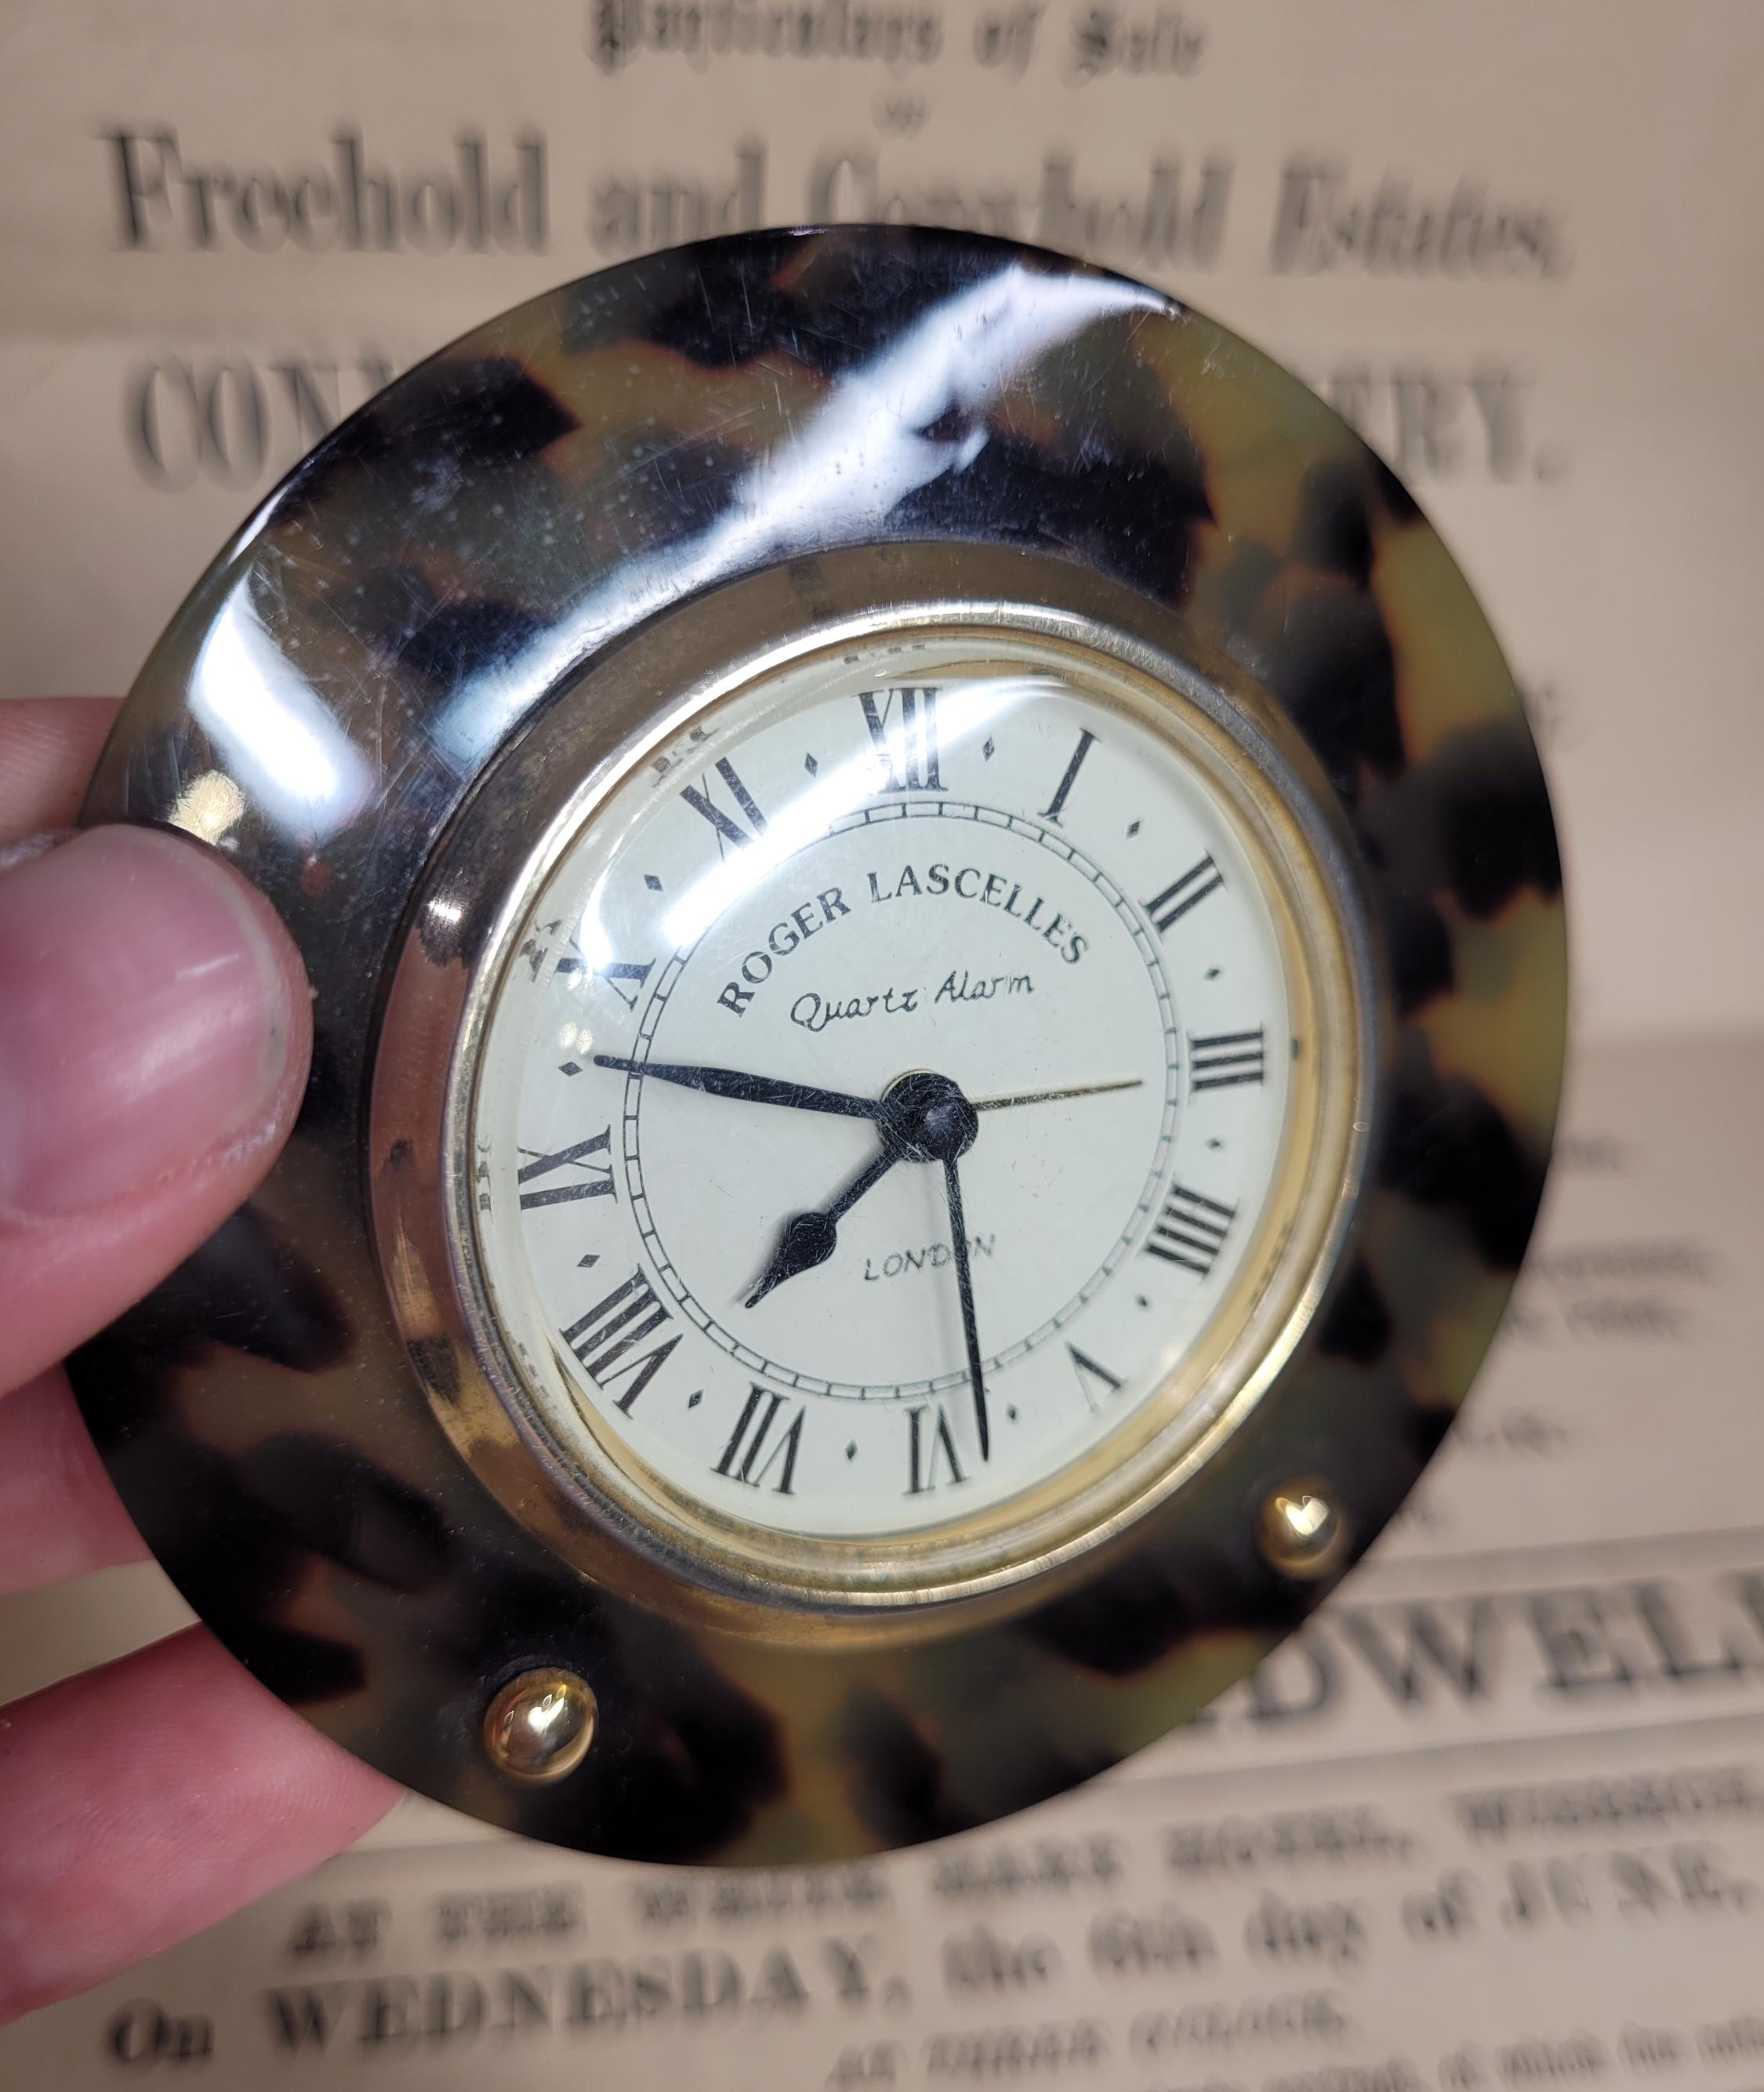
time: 7:47
